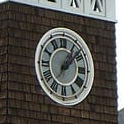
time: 1:08
